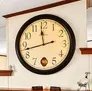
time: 11:42
